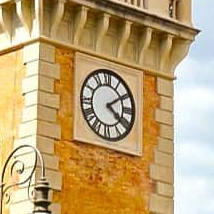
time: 4:09
